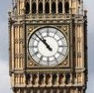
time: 10:52
